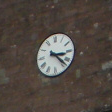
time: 3:22
